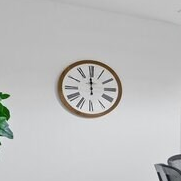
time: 11:59
